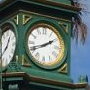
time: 1:41
